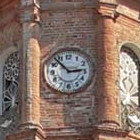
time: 2:53
